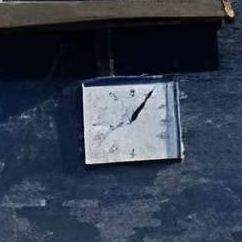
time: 1:05
